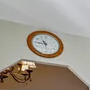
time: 10:45
